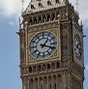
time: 1:18
